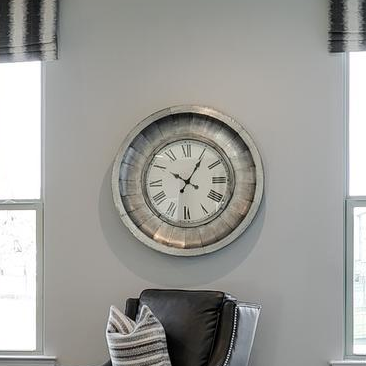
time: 10:05
